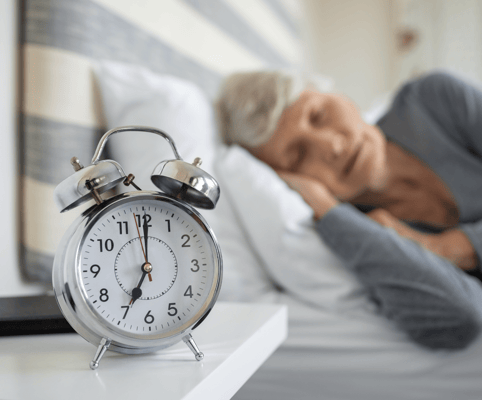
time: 7:00
